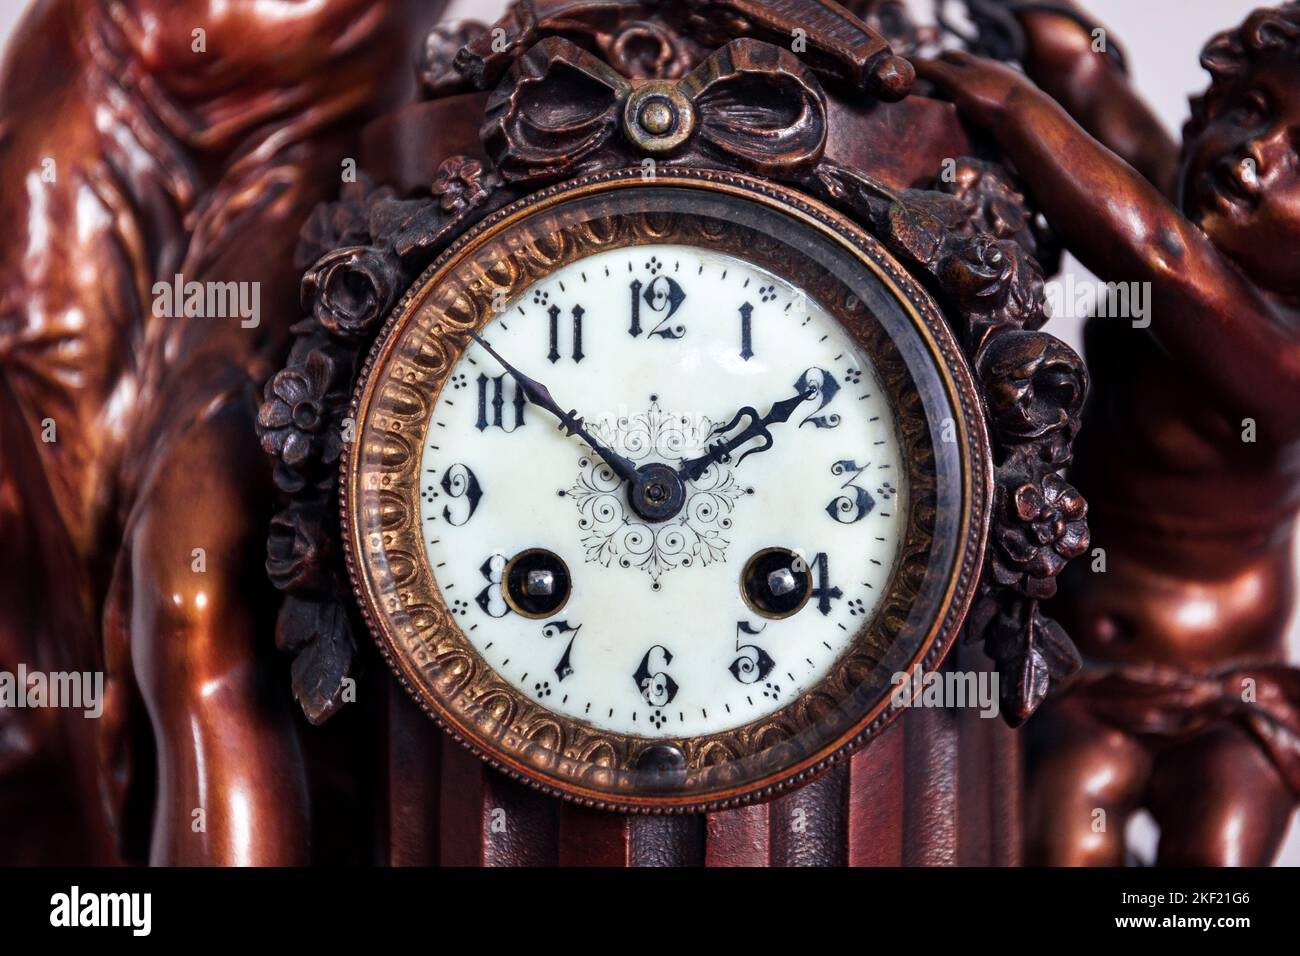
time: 1:51
